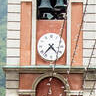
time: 7:22
